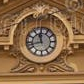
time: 11:42
